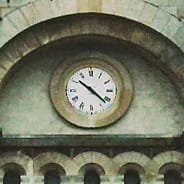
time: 10:21
